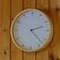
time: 2:22
